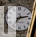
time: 7:12
